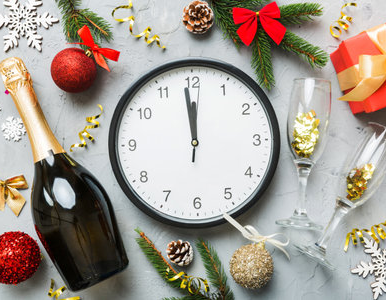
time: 11:58
